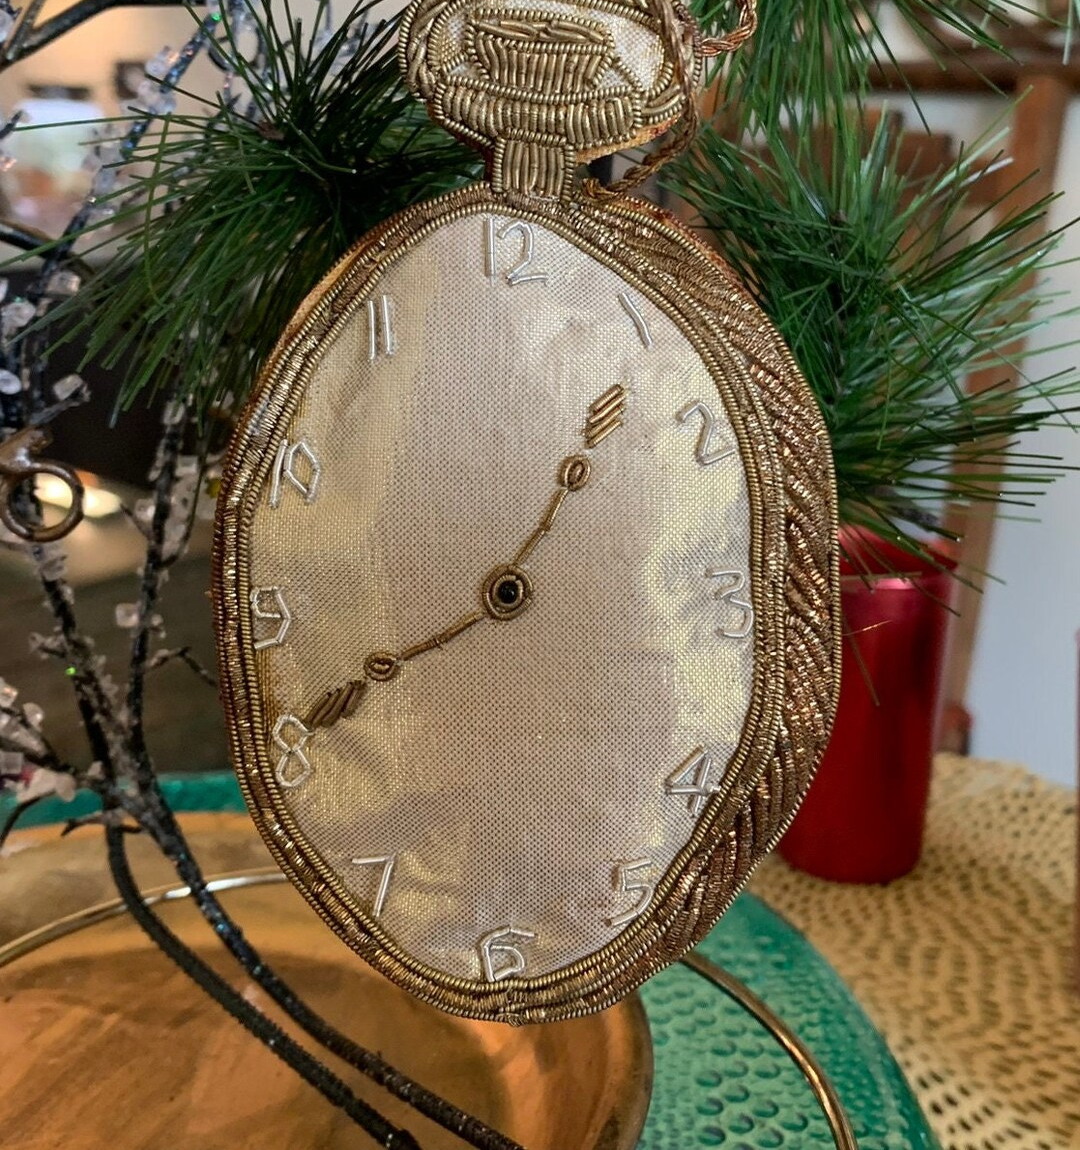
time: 8:06
